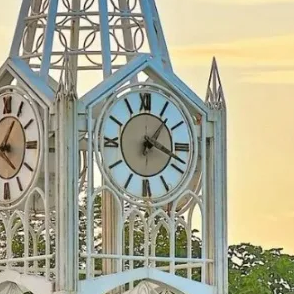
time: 1:18
